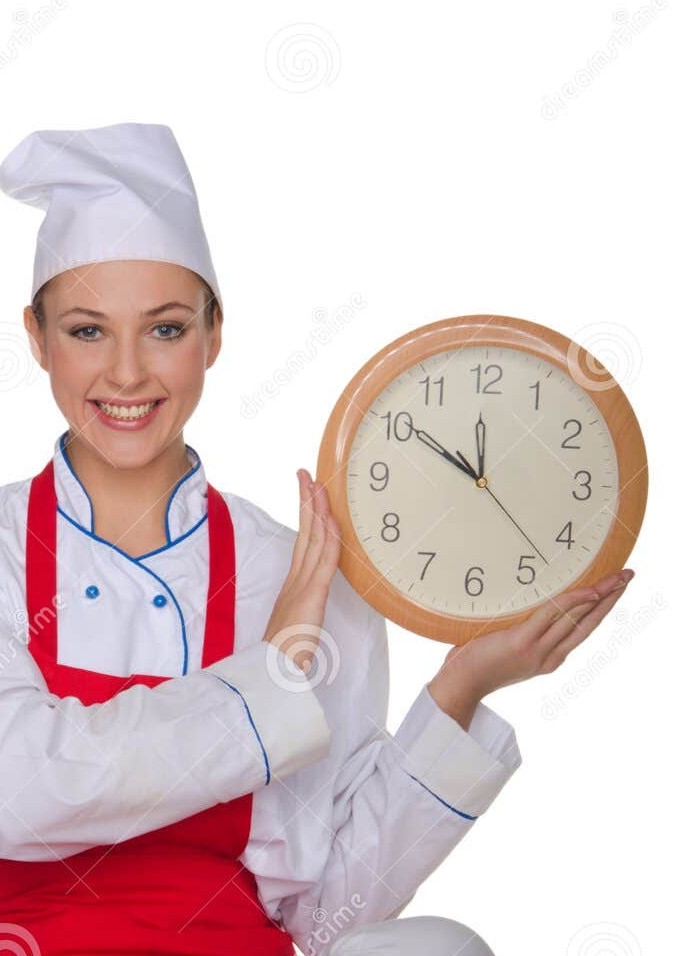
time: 11:50
